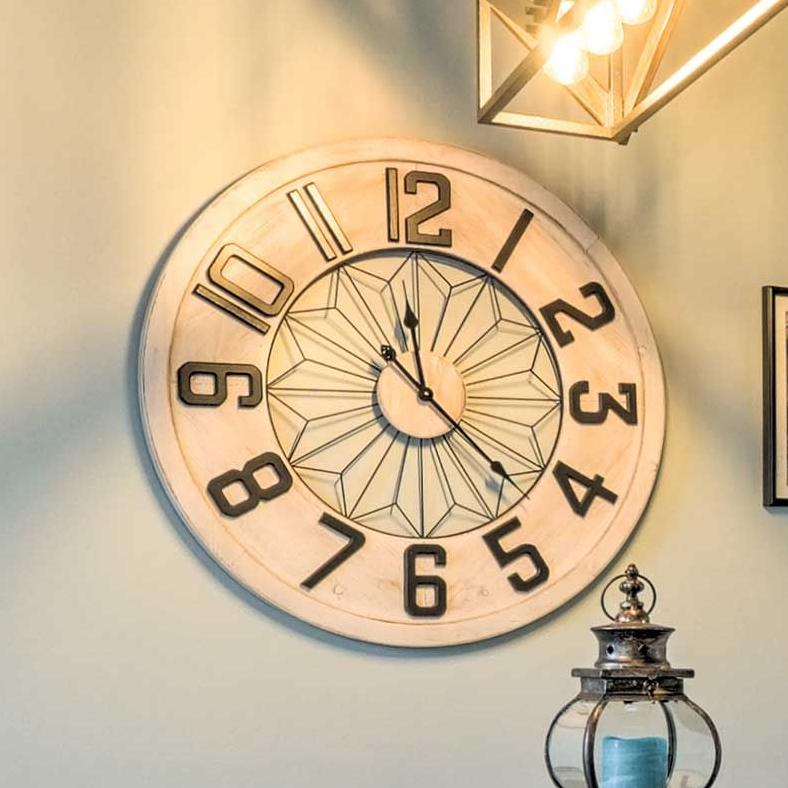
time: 12:22
